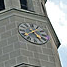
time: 1:24
